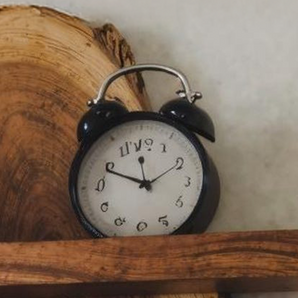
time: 11:48
